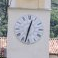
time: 12:32
